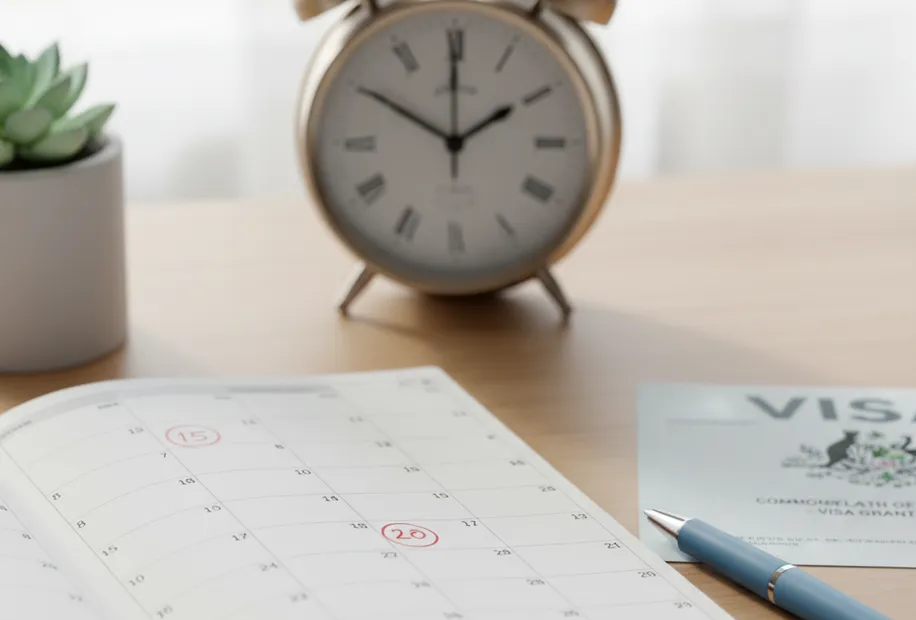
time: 1:50
